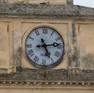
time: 5:13
